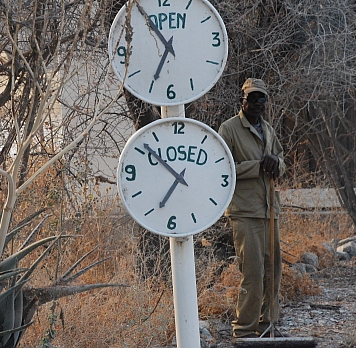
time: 6:51
